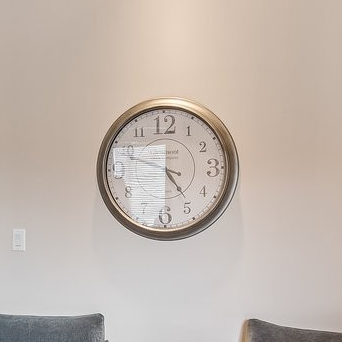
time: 4:48
